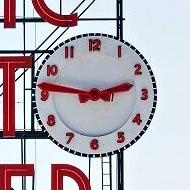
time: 2:46
